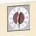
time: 12:30
